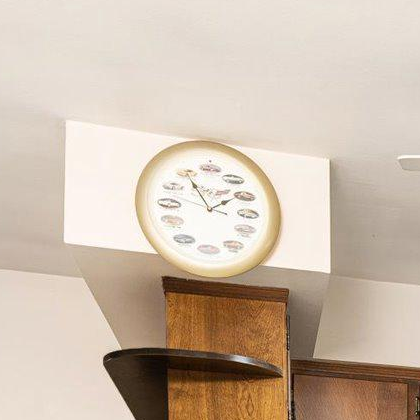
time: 1:54
